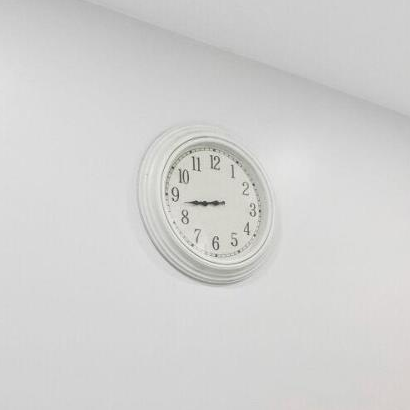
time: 8:43
